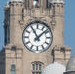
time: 11:07
